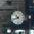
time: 10:42
